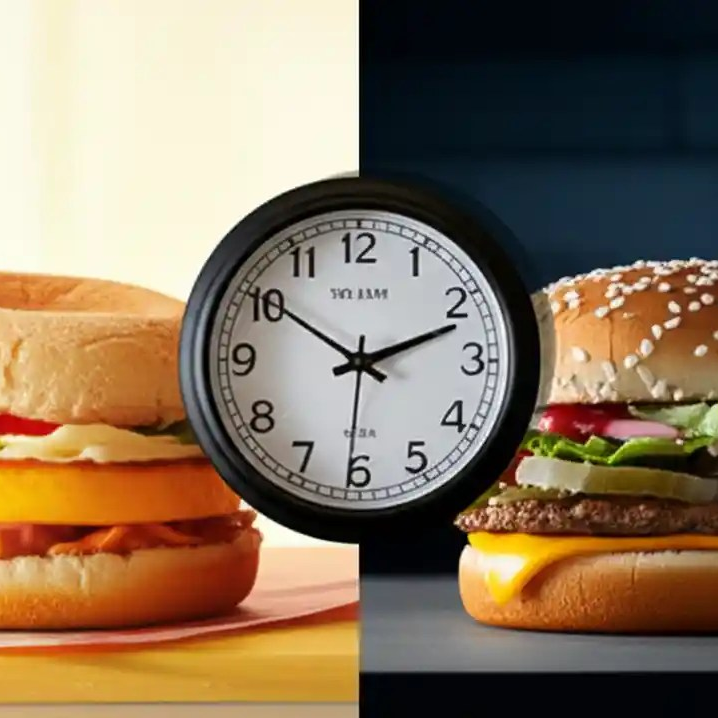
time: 10:11
